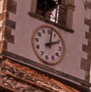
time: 2:01
